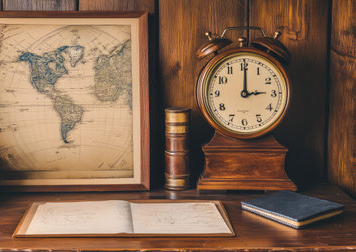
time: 3:00
